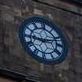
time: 9:12
